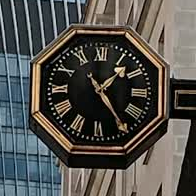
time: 1:24
